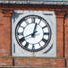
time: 12:41
